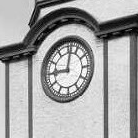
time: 9:01
